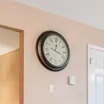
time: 12:18
